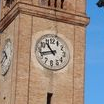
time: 10:42
